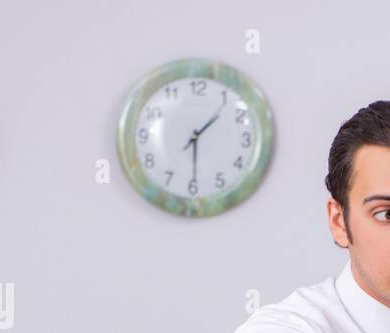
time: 1:29
